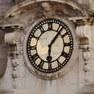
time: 6:06
